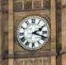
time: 2:18
